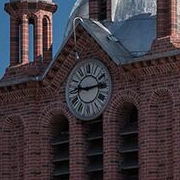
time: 9:13
